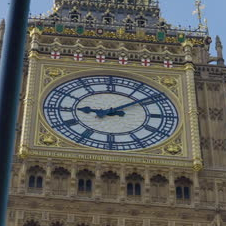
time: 9:09
